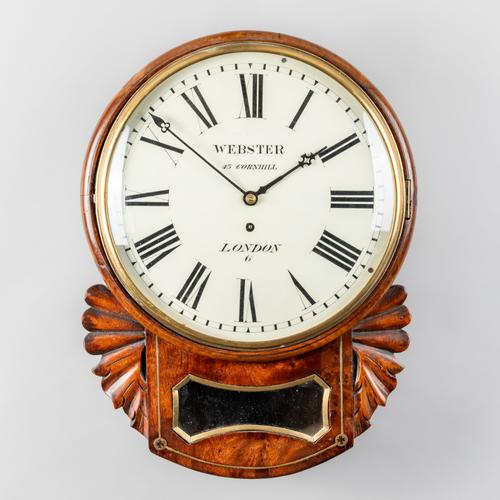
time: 1:51
